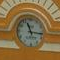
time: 11:16
